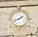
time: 1:41
